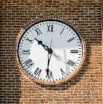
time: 10:31
